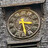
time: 3:27
